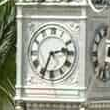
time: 2:34
